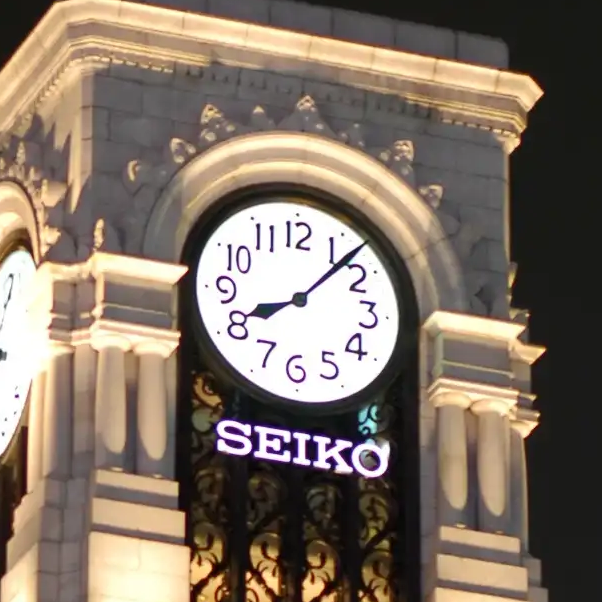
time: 8:07
